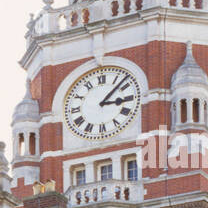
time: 3:07
